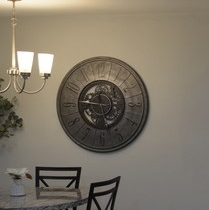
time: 11:46
